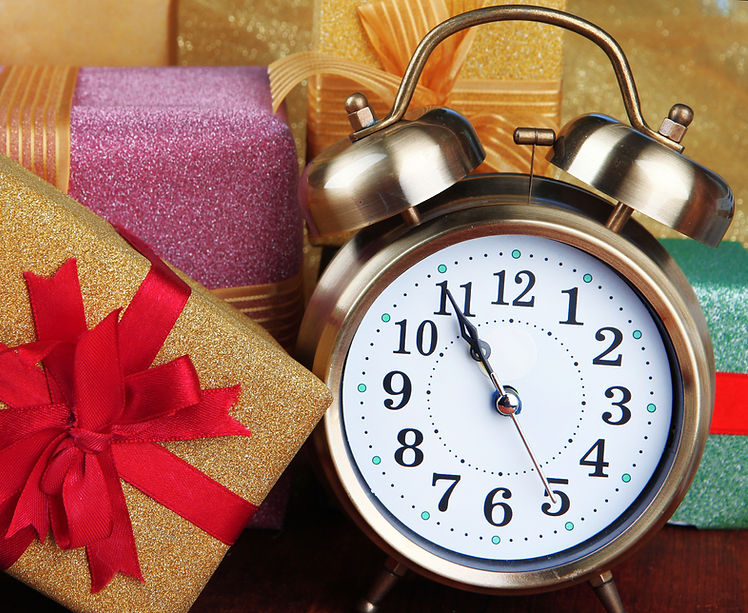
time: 10:54
